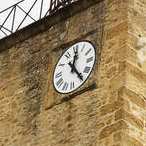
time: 12:24
